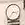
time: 7:15
